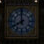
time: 7:59
